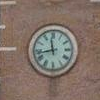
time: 11:43
